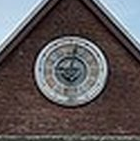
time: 9:01
